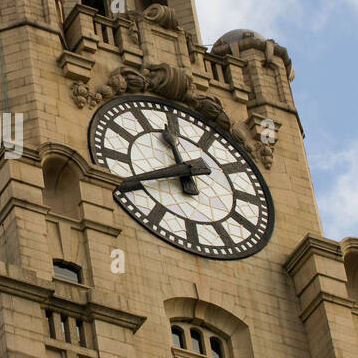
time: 11:40
